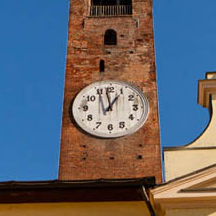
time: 12:58
